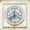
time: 11:38
